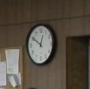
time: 12:50
